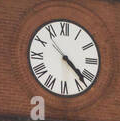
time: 4:22
